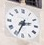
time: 2:33
